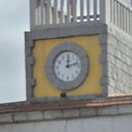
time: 12:12
